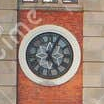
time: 5:04
